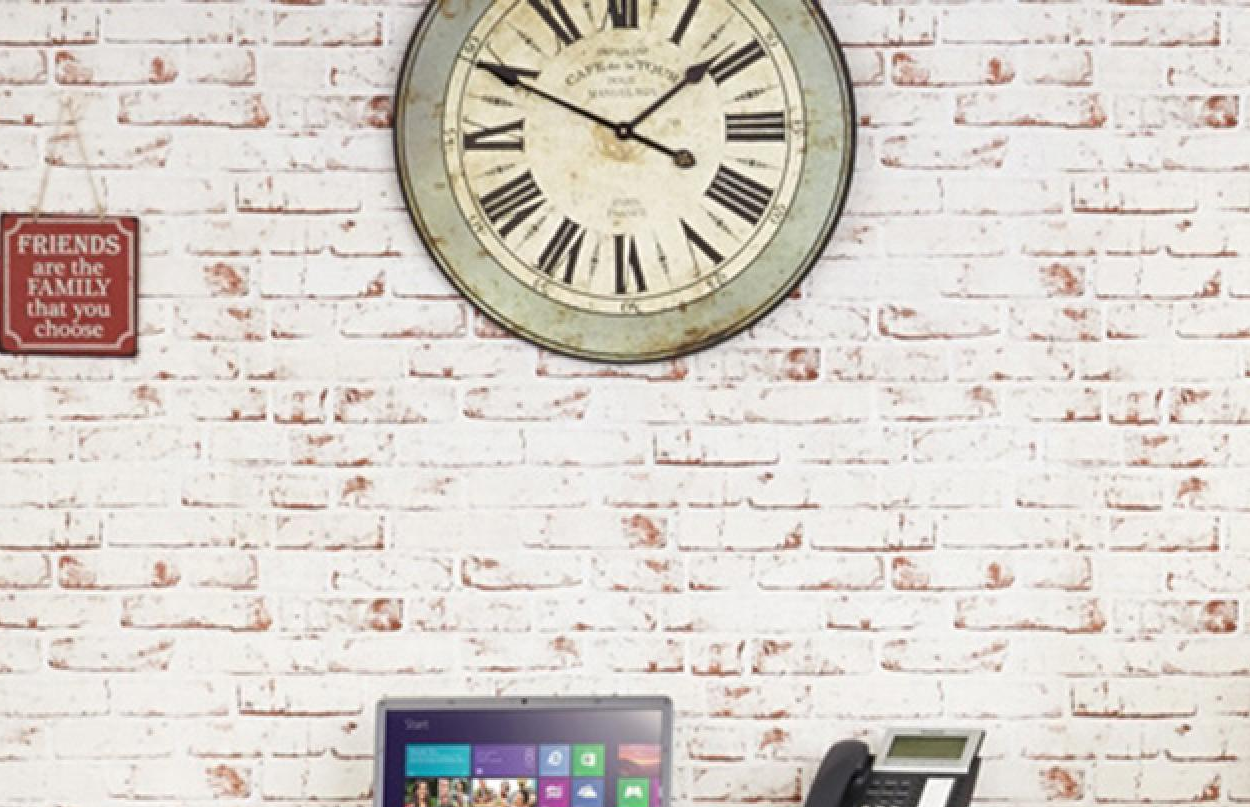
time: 1:49
